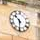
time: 10:30
